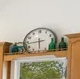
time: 5:43
